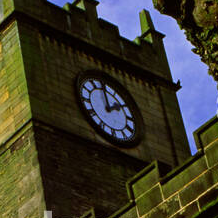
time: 2:00
